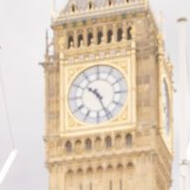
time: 10:25
